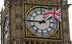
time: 1:45
